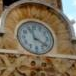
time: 11:21
